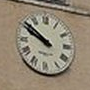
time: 9:51
